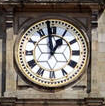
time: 12:58
